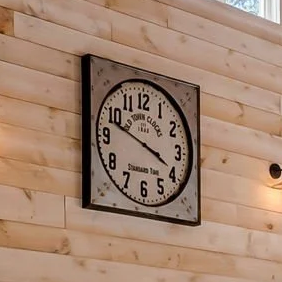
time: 3:47
